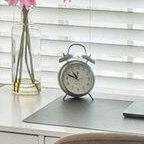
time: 10:48
